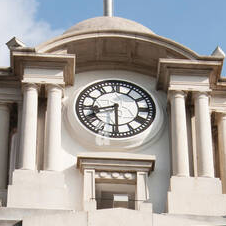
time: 8:29
